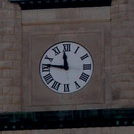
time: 11:46
